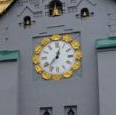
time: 12:37
